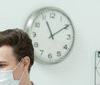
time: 11:09
